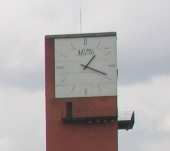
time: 1:18
